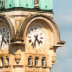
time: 4:33
